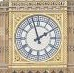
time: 1:57
